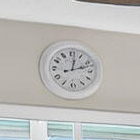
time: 12:12
